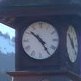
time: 10:24
